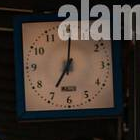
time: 7:01
